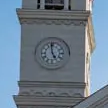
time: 4:58
